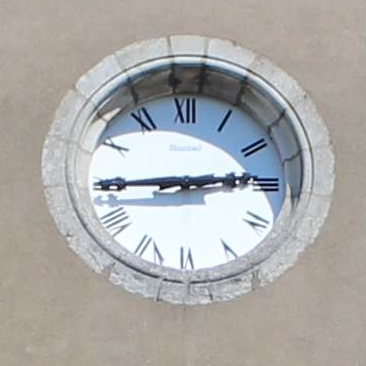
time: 2:44
